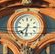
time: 7:32
